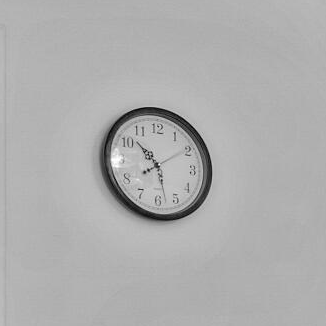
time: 10:27
